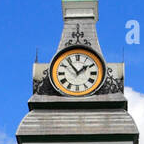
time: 1:53
